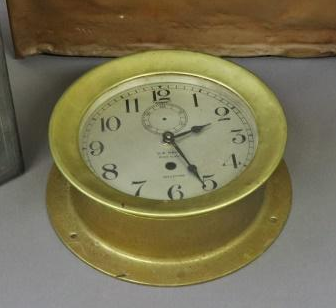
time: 2:25
